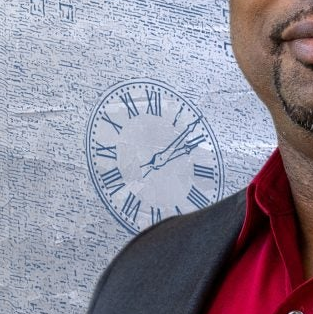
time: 2:08
